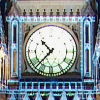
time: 10:37
